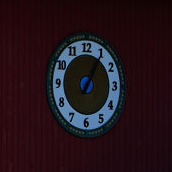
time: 1:05
